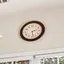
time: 2:28
